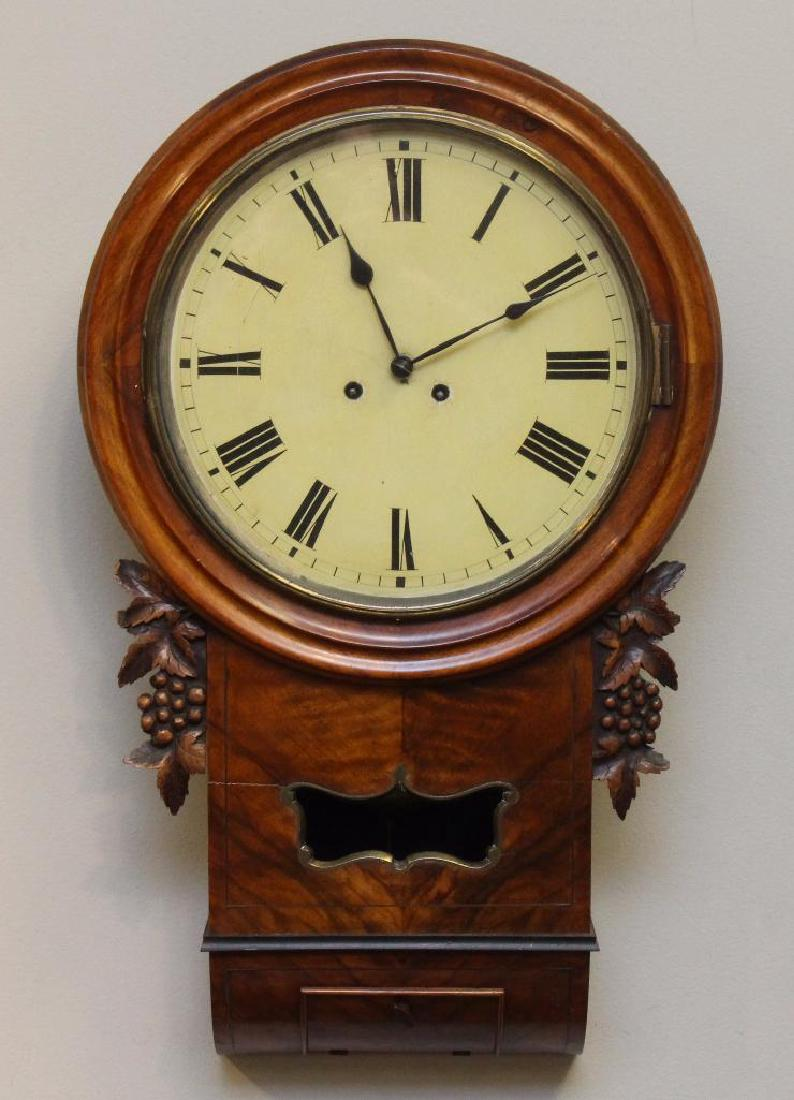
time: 11:10
